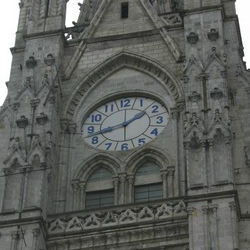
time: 1:42
